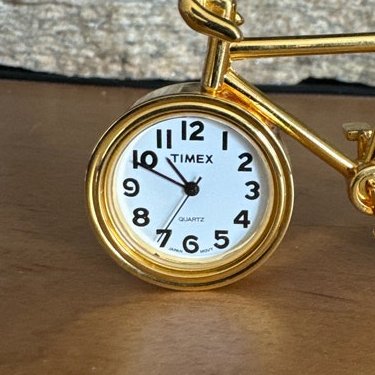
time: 10:49
